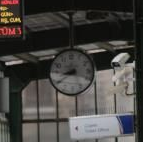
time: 8:39
